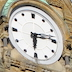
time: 6:13
